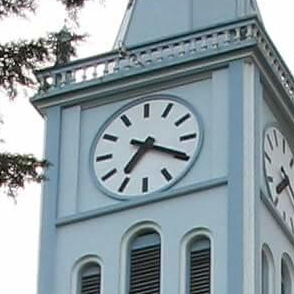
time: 7:19
